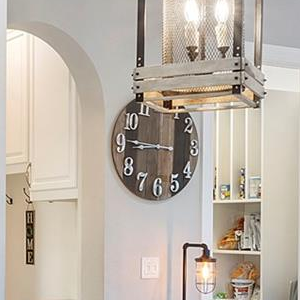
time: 8:45
